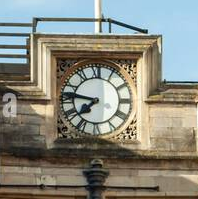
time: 7:46
